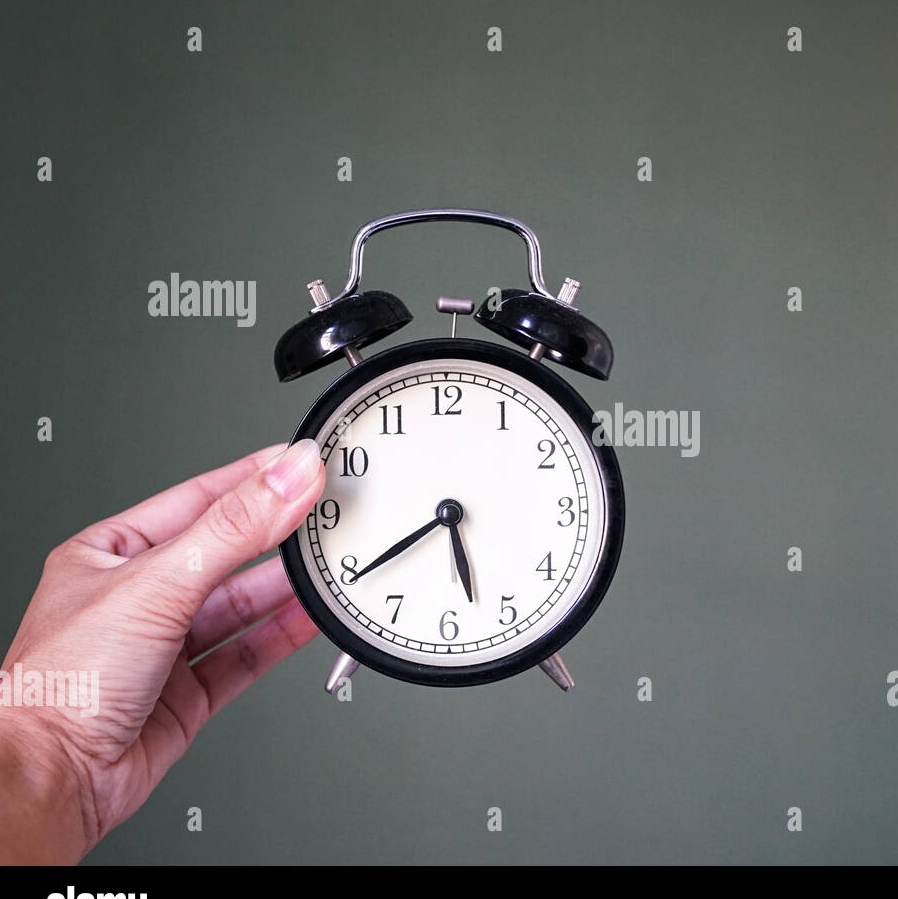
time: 5:39
